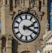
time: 2:18
